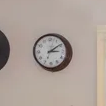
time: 3:09
